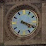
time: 4:18
